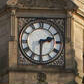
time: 2:30
